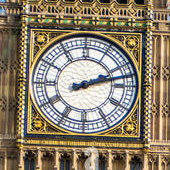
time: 2:12
